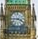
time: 3:45
